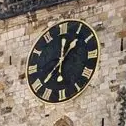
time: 12:07
